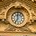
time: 11:35
